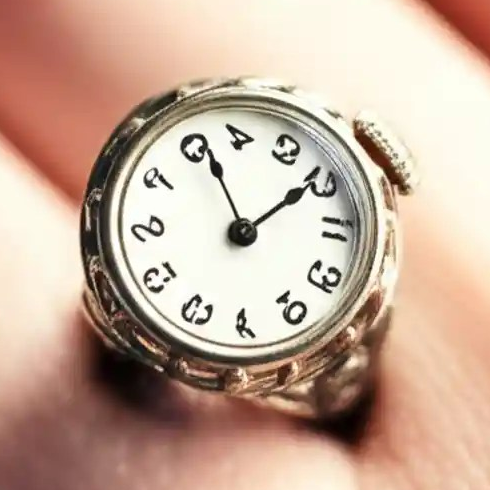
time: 1:56
